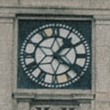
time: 1:21
